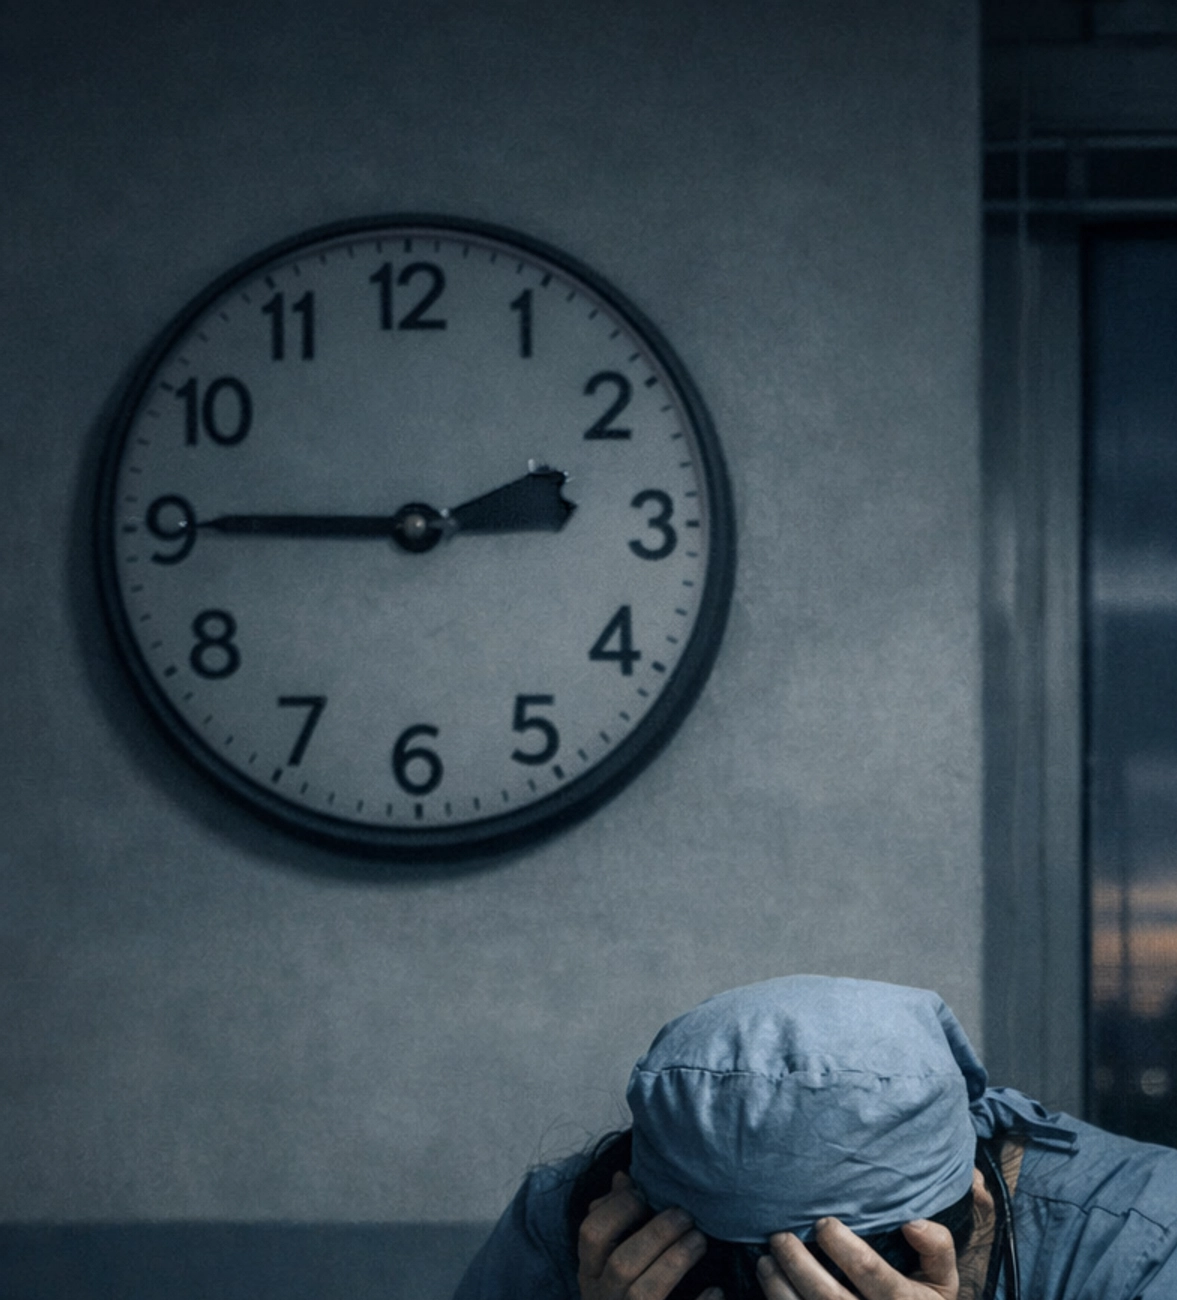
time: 2:45
